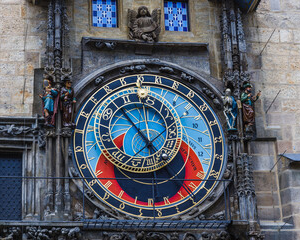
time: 4:52
